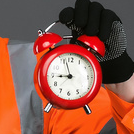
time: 8:57
